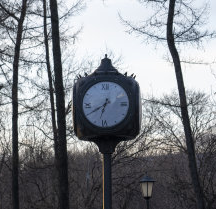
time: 6:40
